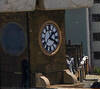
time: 1:18
